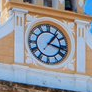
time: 1:17
